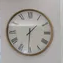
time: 1:30
